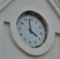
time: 3:58
